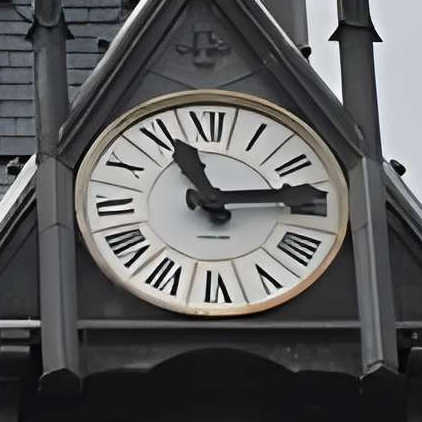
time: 11:13
